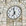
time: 6:58
